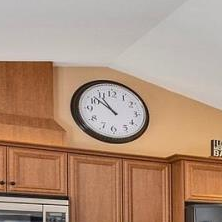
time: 10:51
